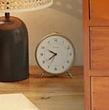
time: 7:50
